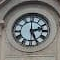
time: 2:25
